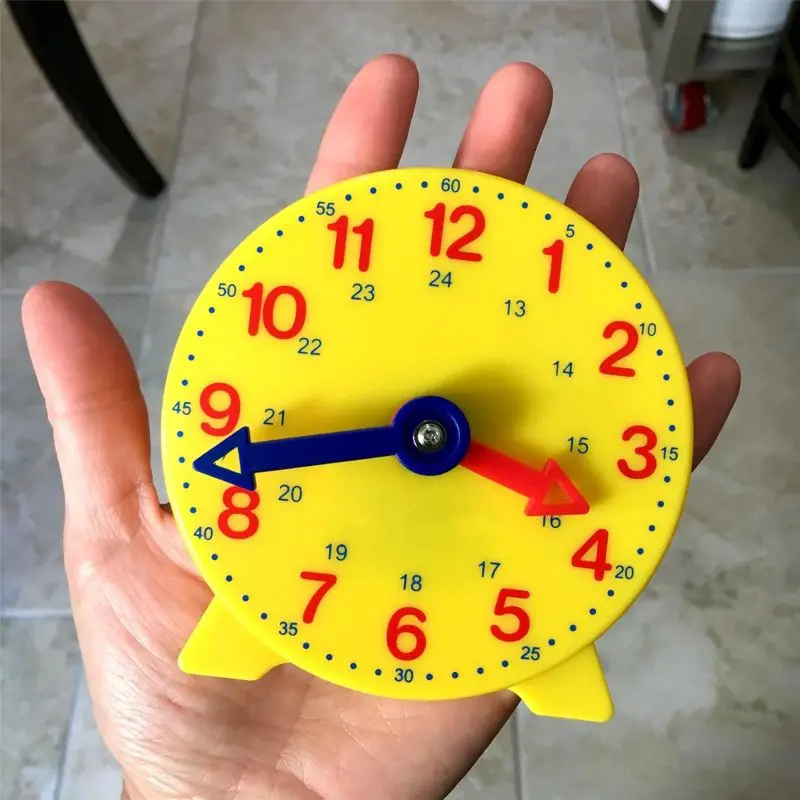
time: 3:42
